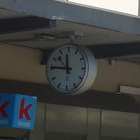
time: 11:46
